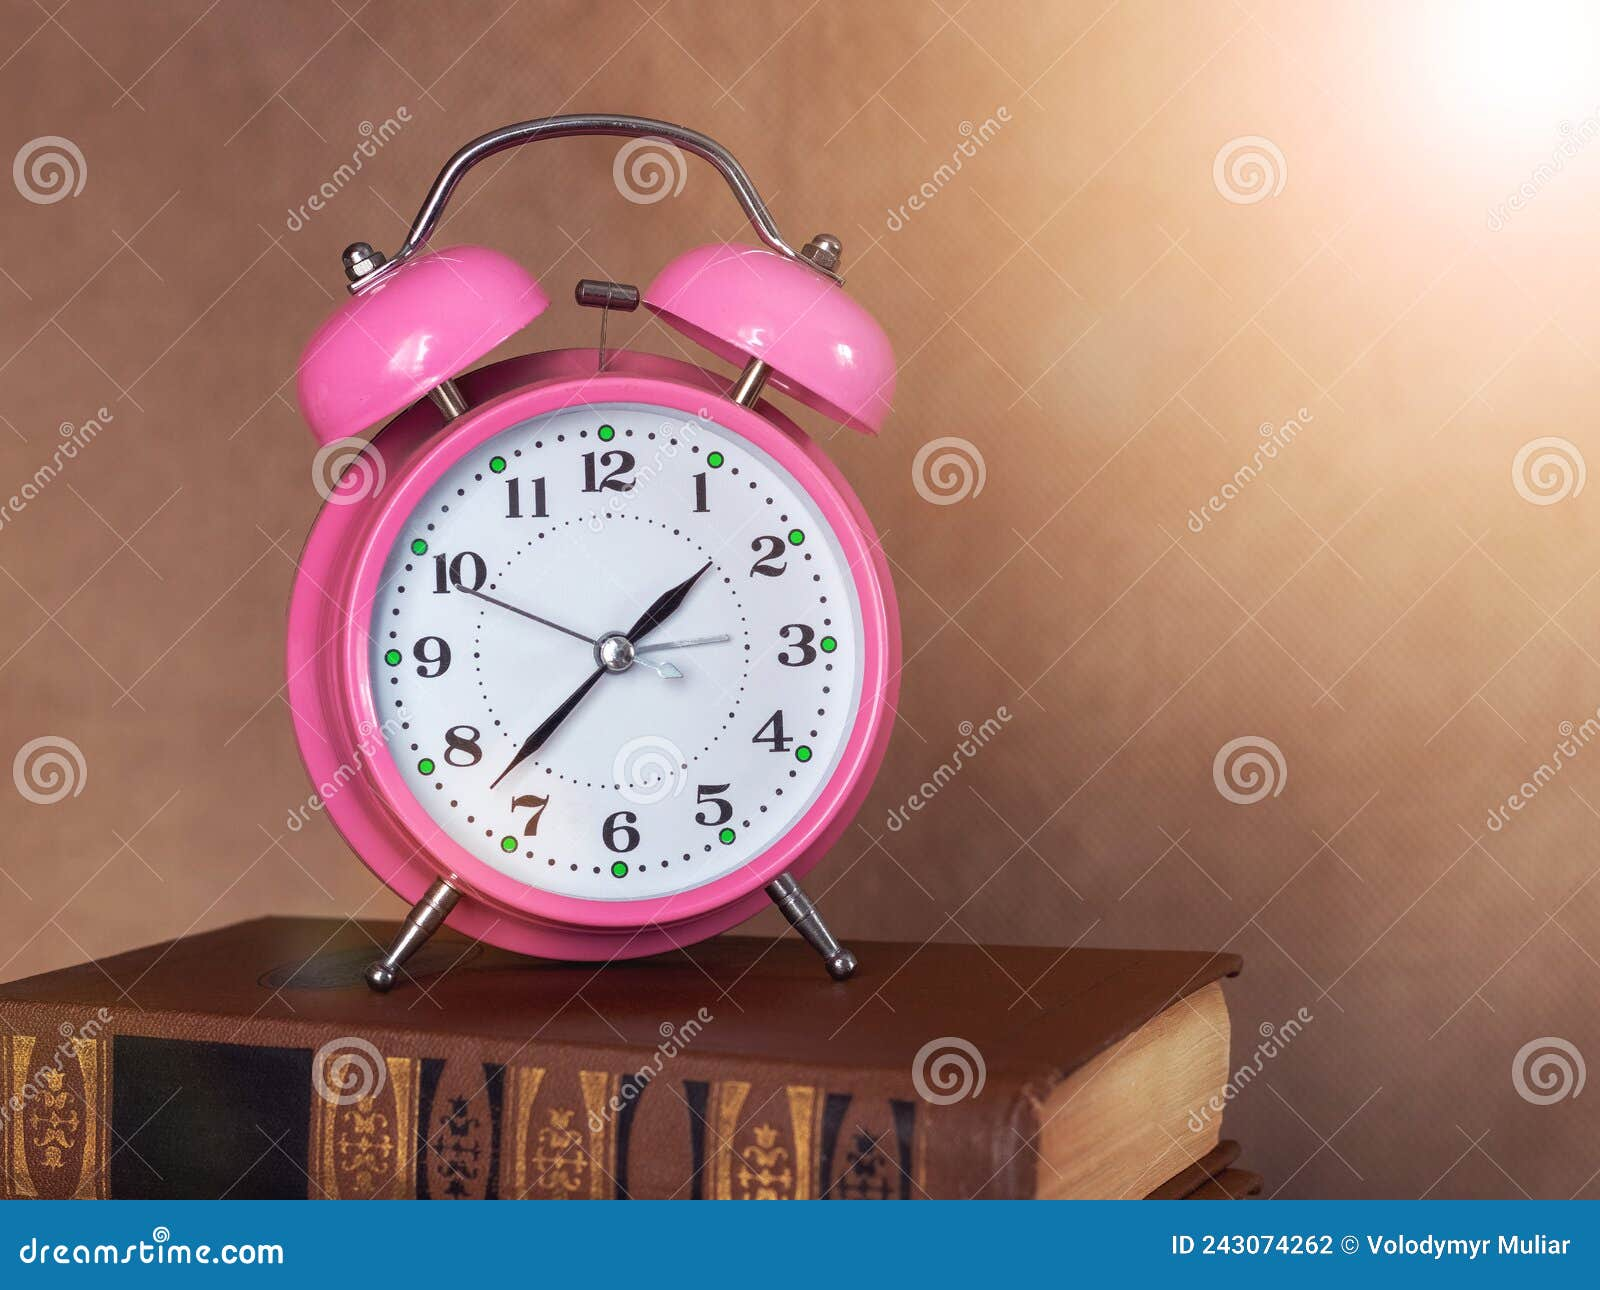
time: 1:37
